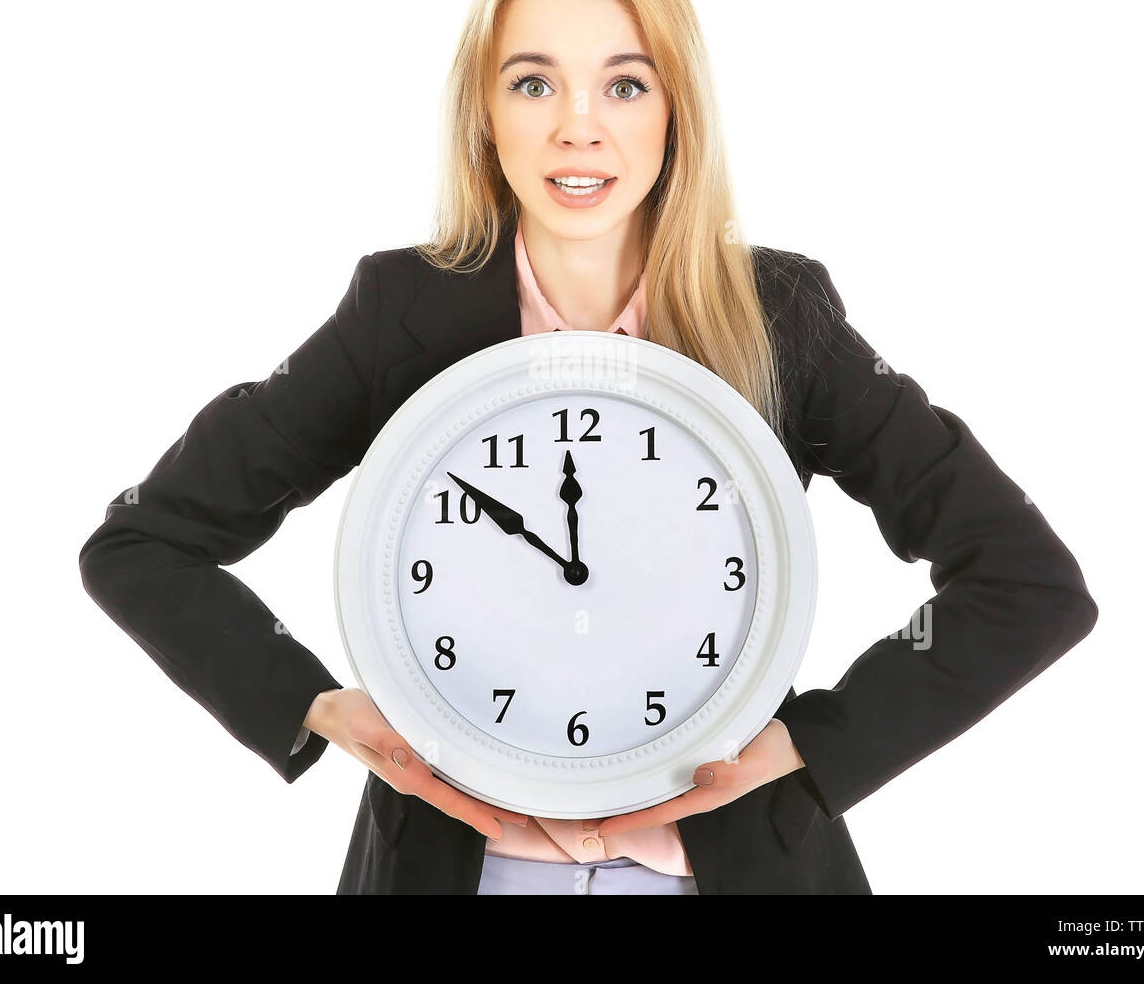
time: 11:51
